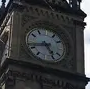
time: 4:42
